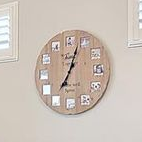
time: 7:03
